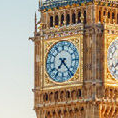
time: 7:23
